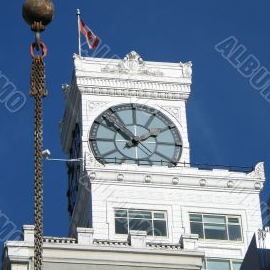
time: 1:52
